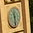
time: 11:28
